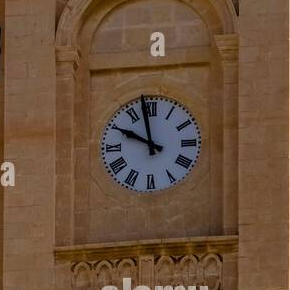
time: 9:57
